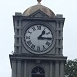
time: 1:15
